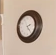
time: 2:23
